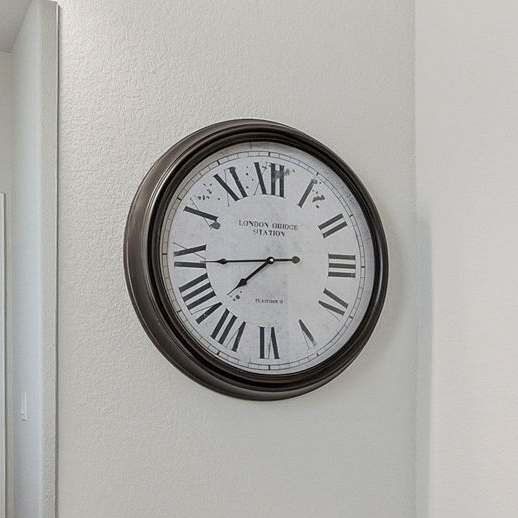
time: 7:43
